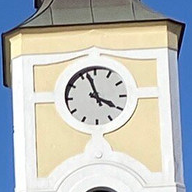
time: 3:57
